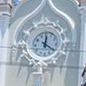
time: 12:20
